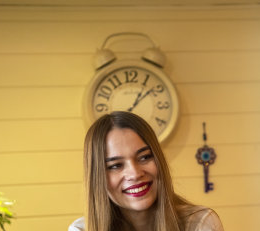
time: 1:08
